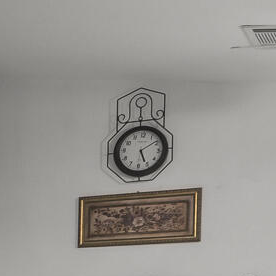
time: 5:09
